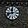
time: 11:42
